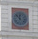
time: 11:52
